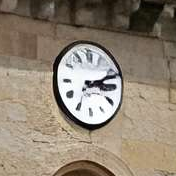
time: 3:11
